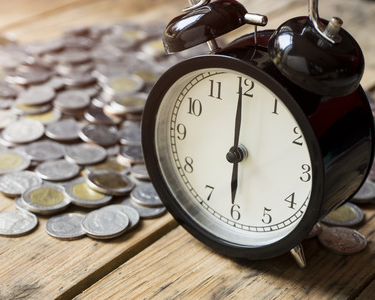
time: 6:00
